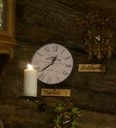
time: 12:37
